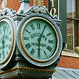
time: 6:04
